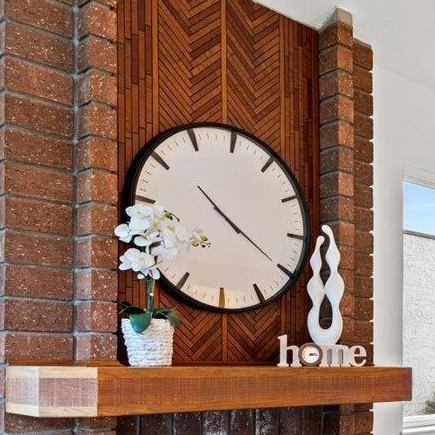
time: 10:20
